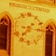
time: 7:15
